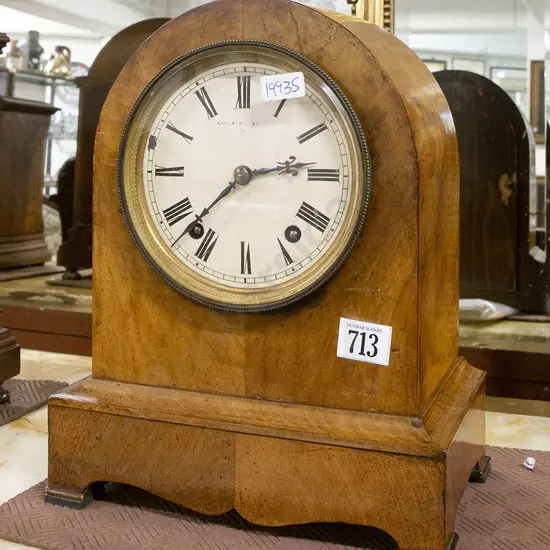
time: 2:37
